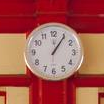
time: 1:05
